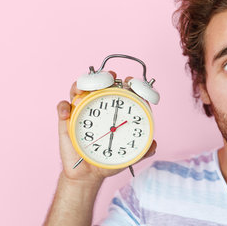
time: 6:00
